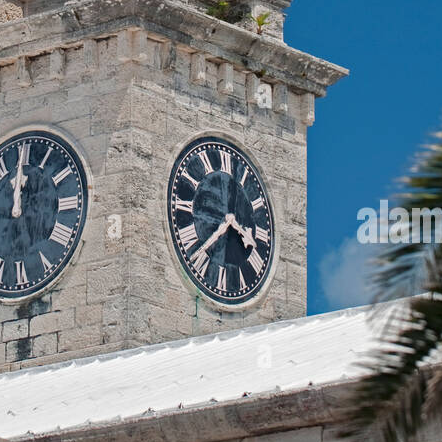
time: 3:37
